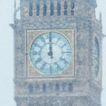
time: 11:59
